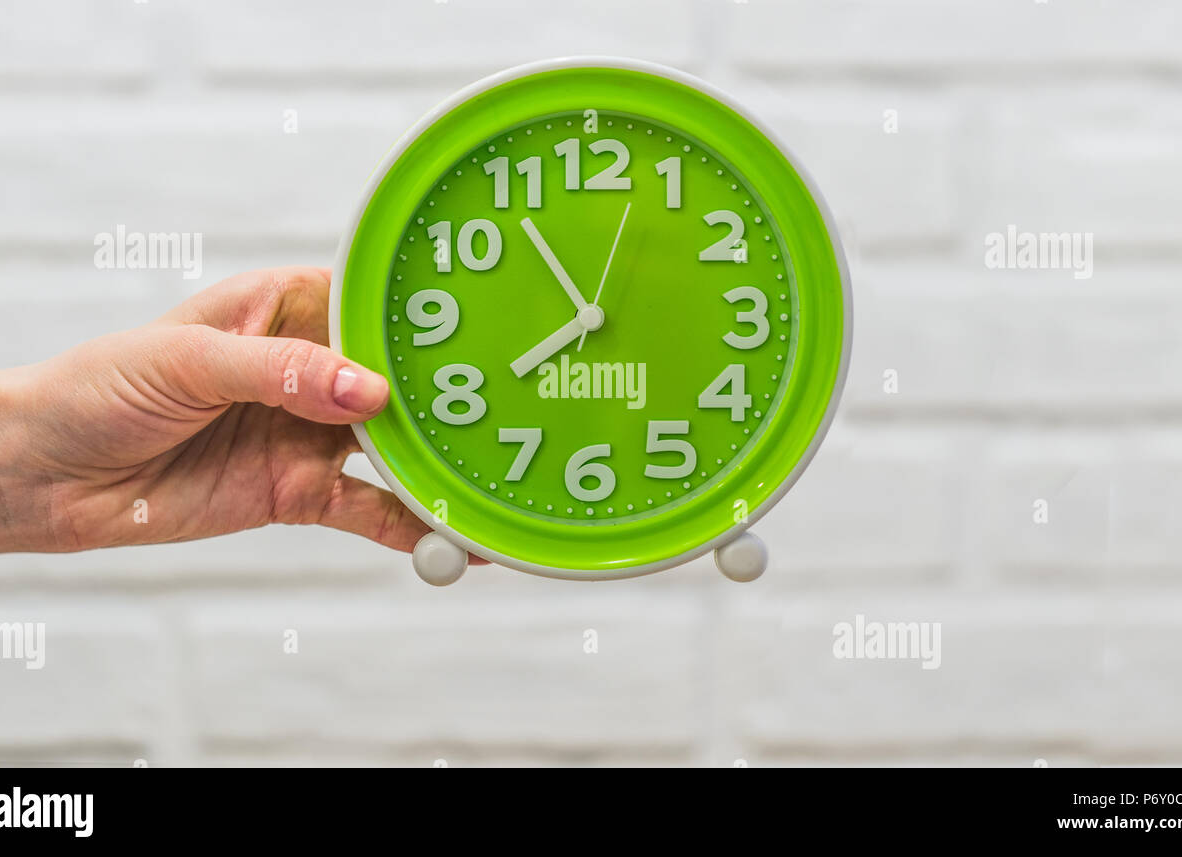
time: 7:54
